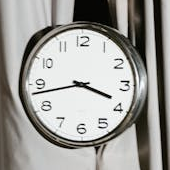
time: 3:43
